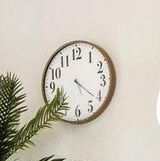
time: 4:21
